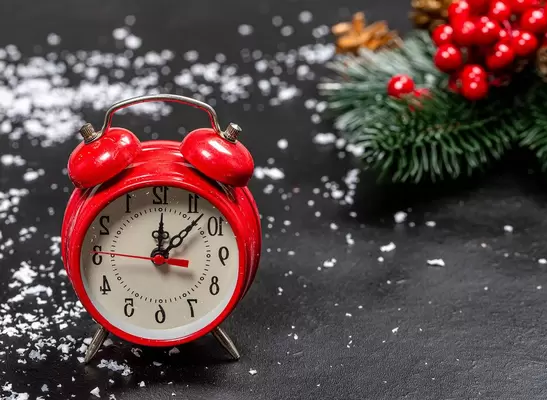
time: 12:07
